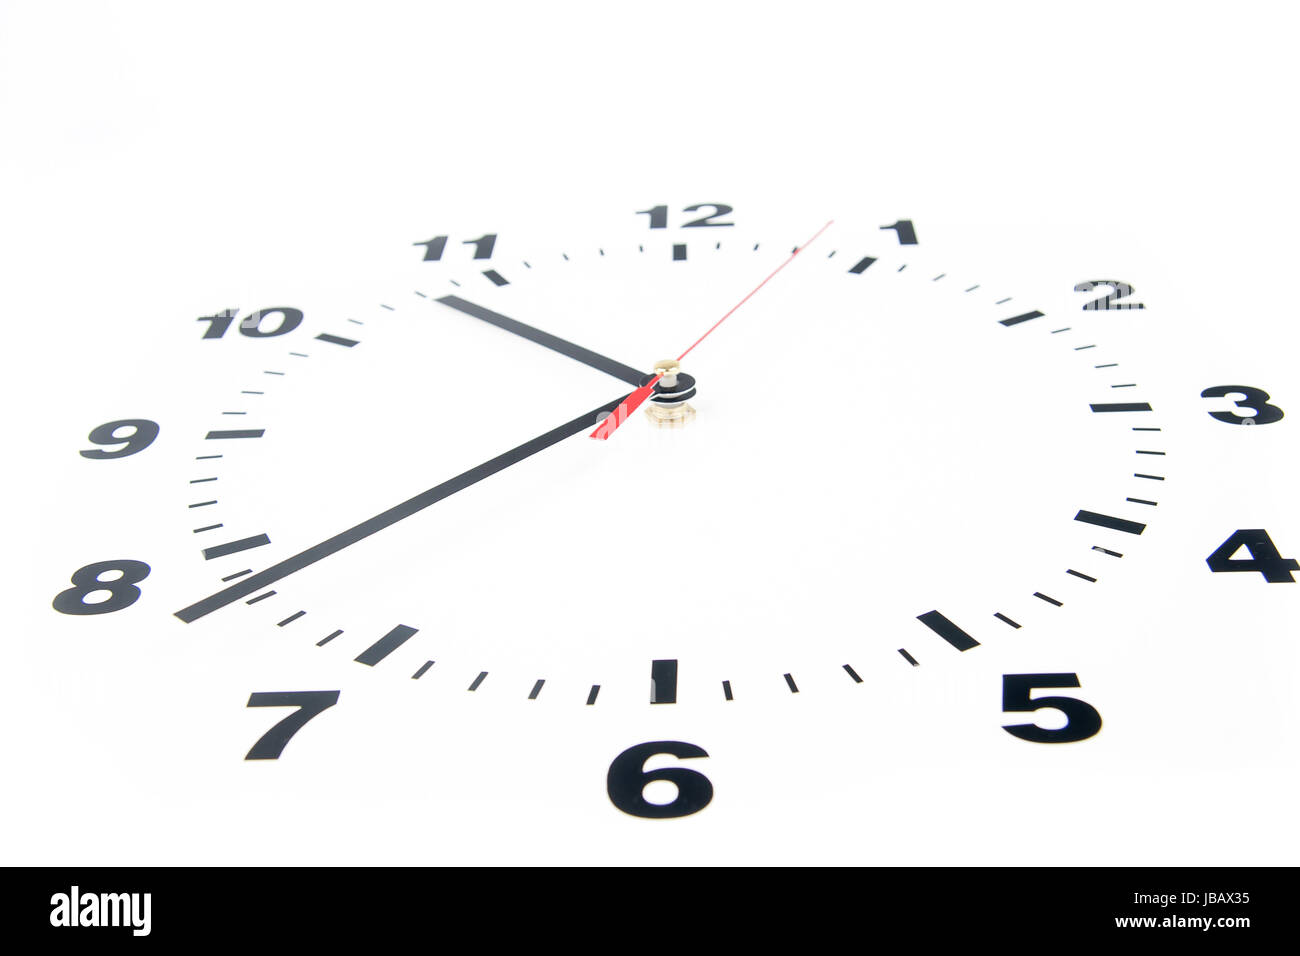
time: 10:38
